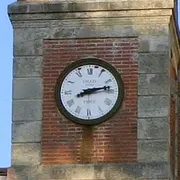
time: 8:12
